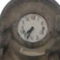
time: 7:33
